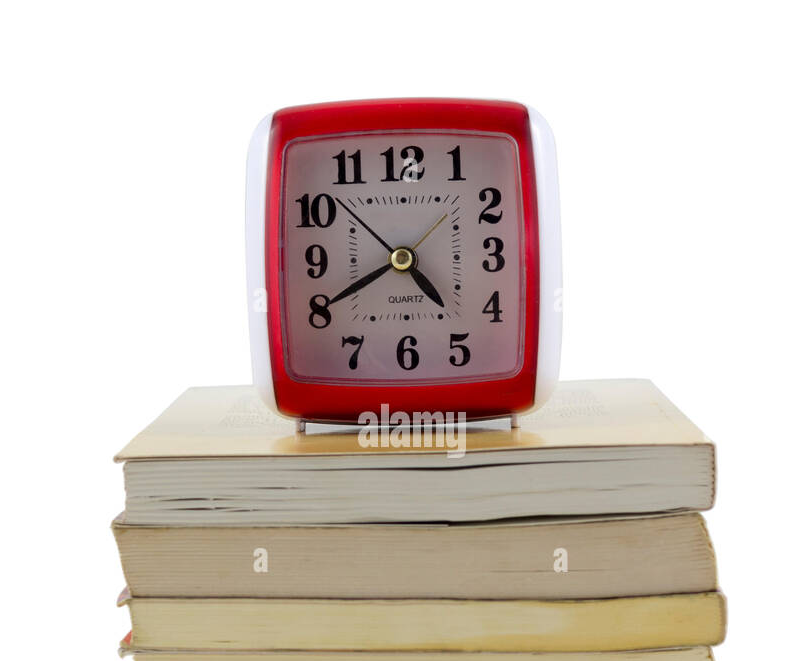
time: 4:40
